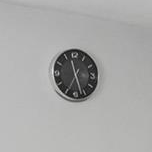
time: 11:34
